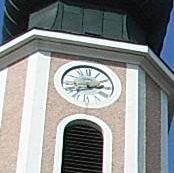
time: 2:42
